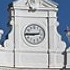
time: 2:45
